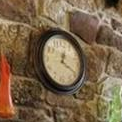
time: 12:20
